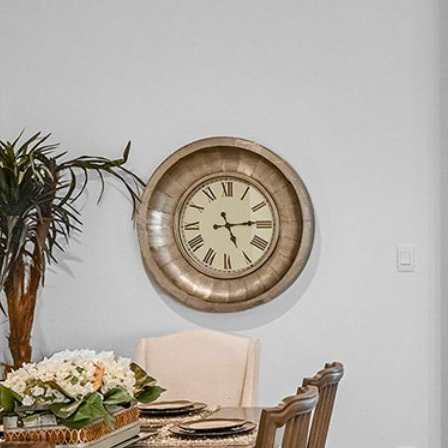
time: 5:14
